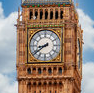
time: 8:39
